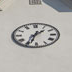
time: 1:33
